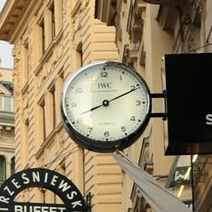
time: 8:11
